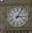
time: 3:05
